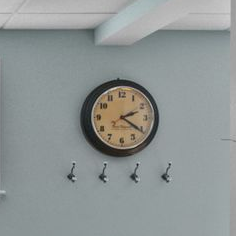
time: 2:20
